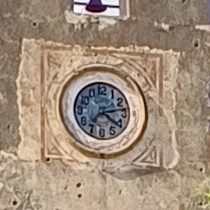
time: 4:13
